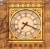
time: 7:18
